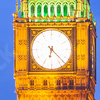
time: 6:22
